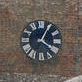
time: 4:04
